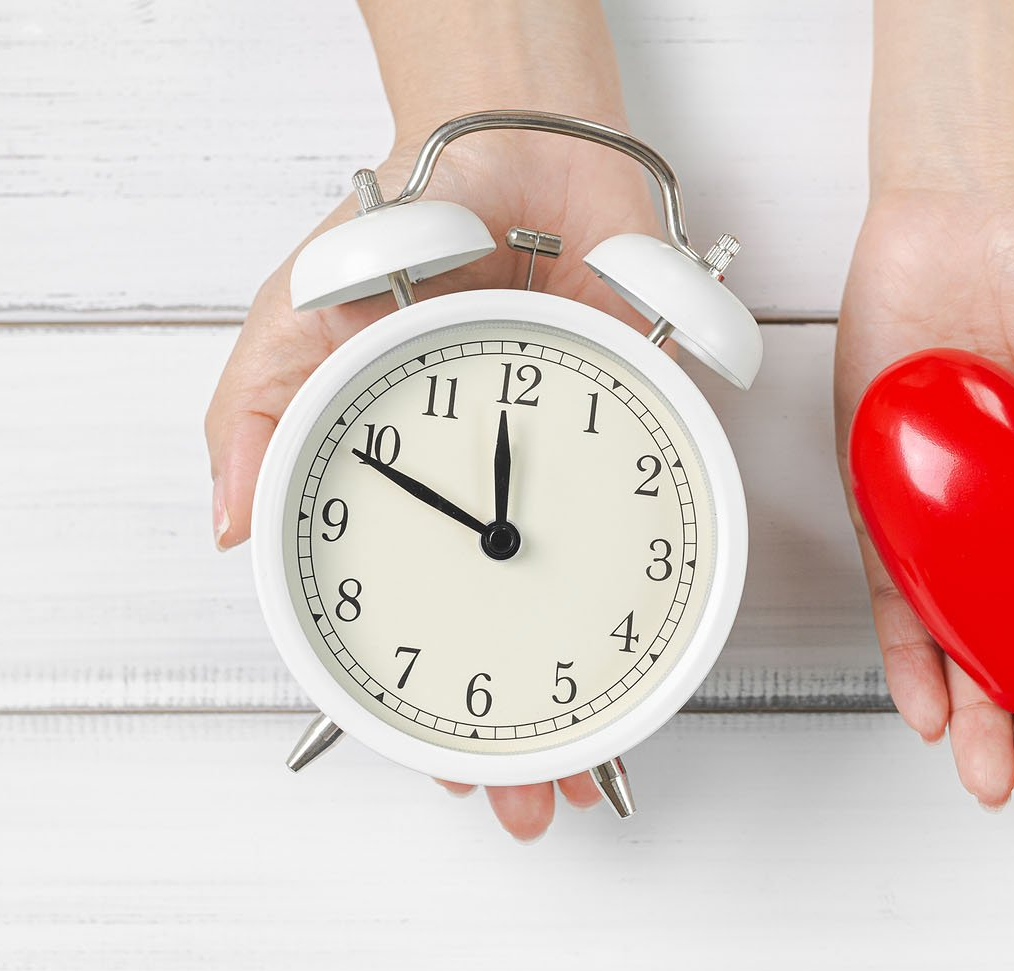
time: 11:49
